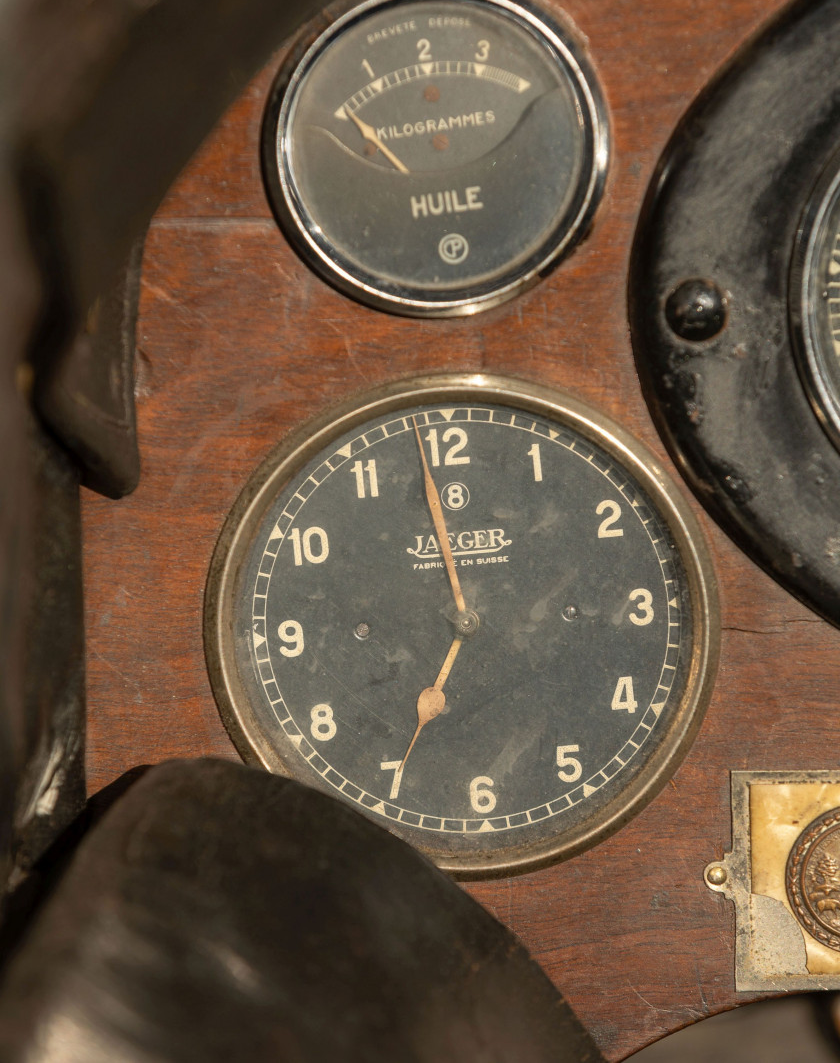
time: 6:58
